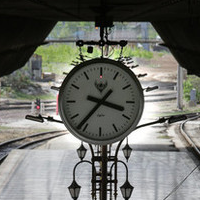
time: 3:36
